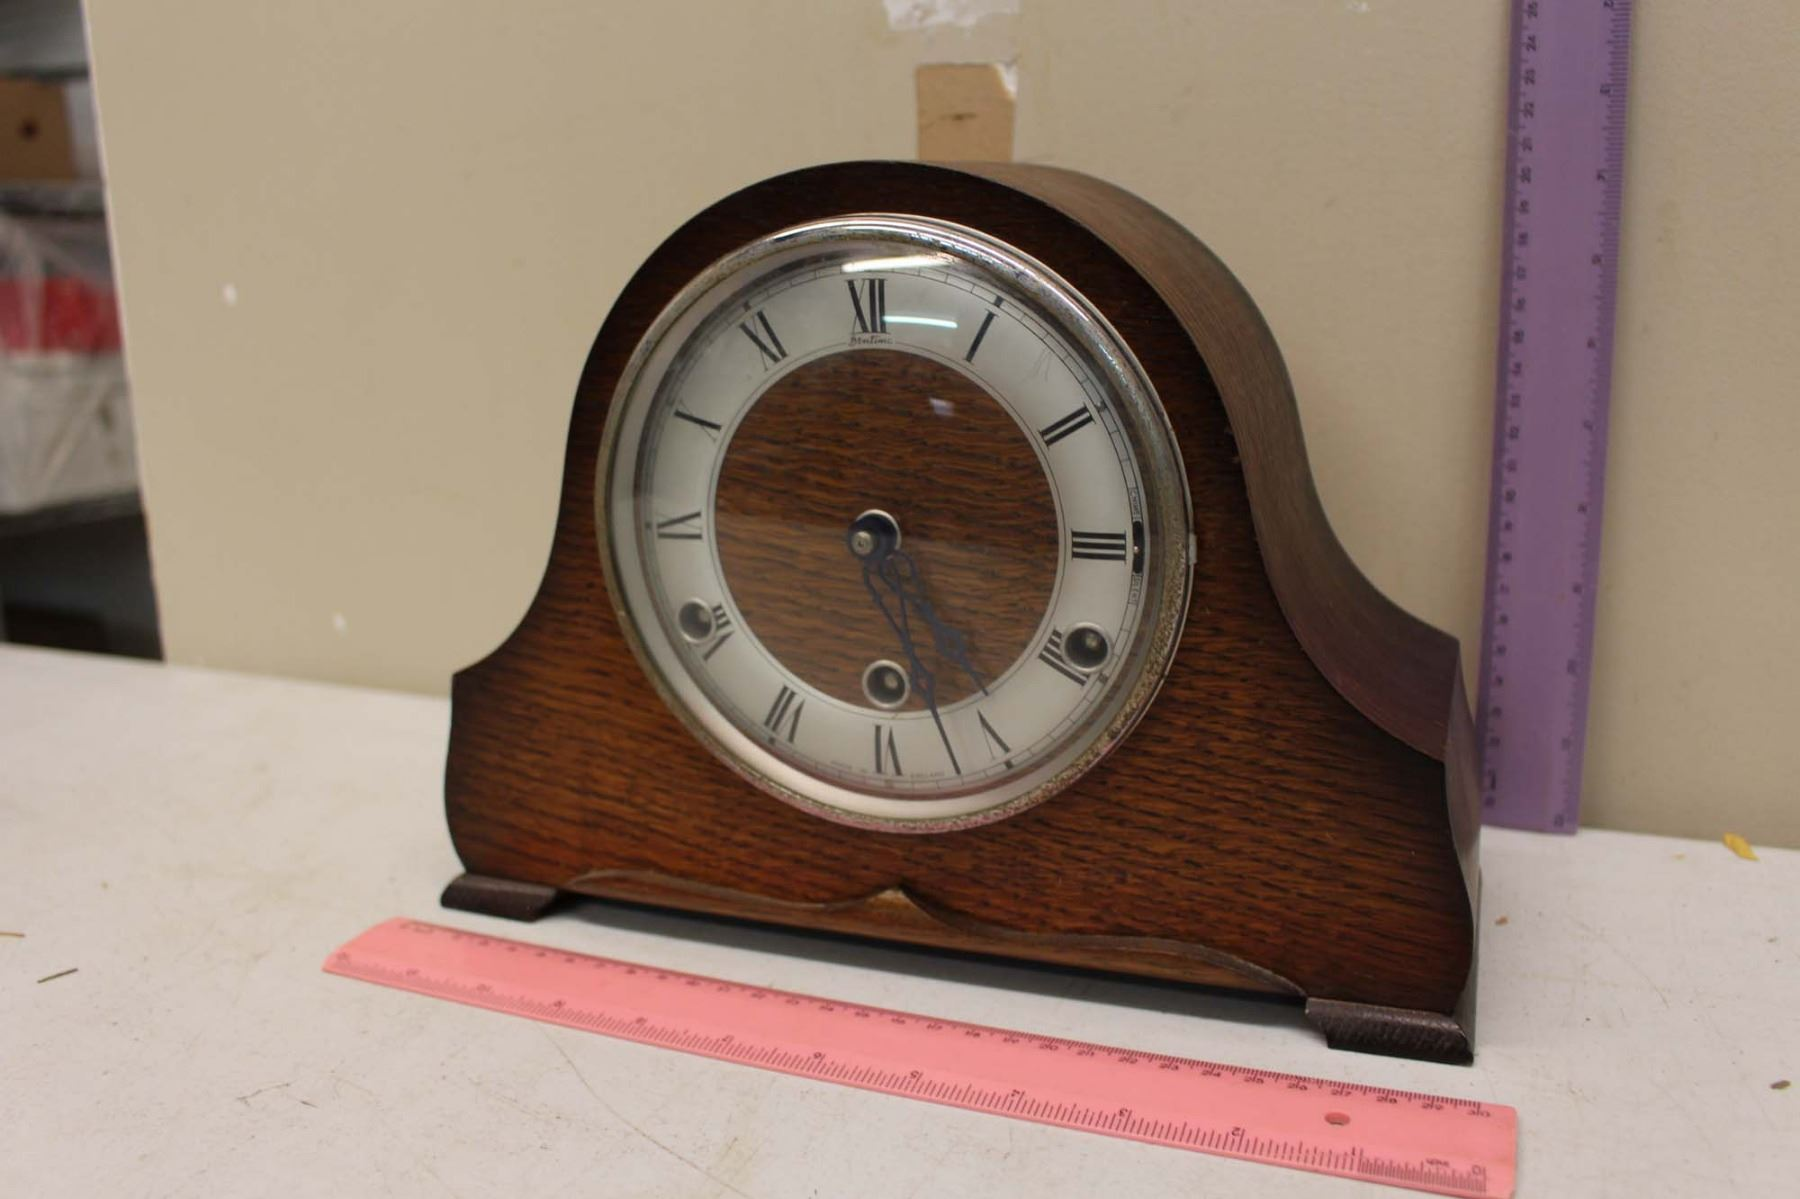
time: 5:15
